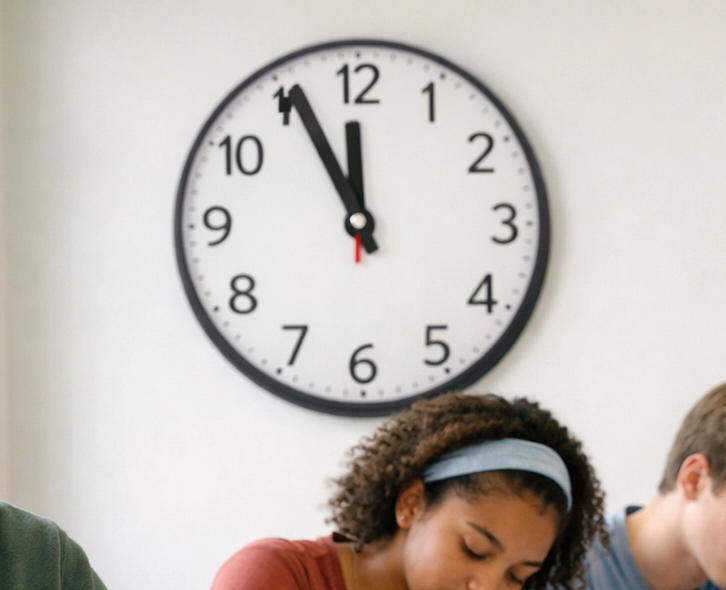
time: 11:55
